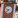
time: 9:38
